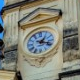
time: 1:18
